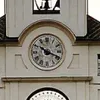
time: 10:18
